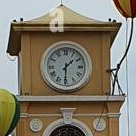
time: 1:30
